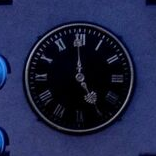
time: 4:59
